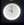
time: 9:59
